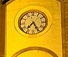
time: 7:25
